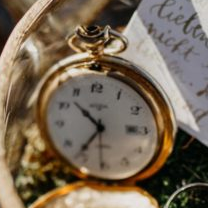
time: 10:36
